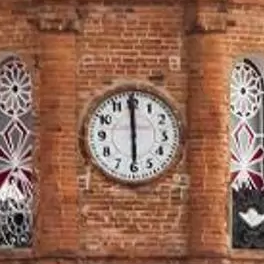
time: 5:59
